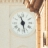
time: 11:28
